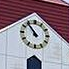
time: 10:53
